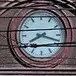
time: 8:18
